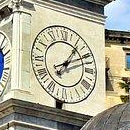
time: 1:10
